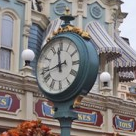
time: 11:42
